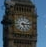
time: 5:14
